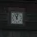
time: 11:02
